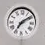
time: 7:09
